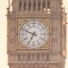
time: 6:48
